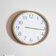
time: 3:16
